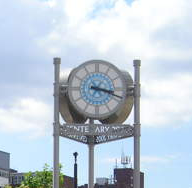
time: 3:17
